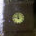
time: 11:46
